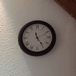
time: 11:24
